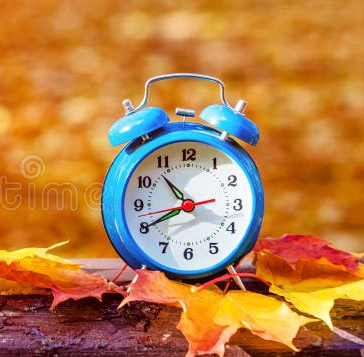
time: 10:40
